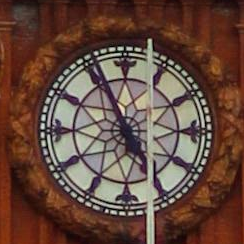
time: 4:55
